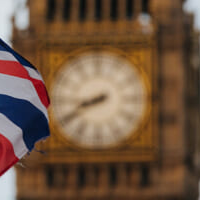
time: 8:40
